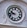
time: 9:43
